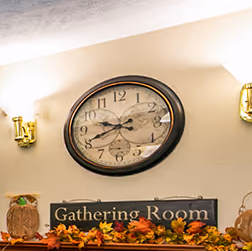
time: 9:41
